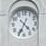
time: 4:34
